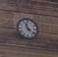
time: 11:21
